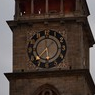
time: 1:37
